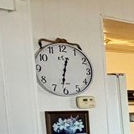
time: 12:31
